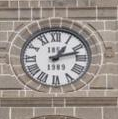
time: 1:12
